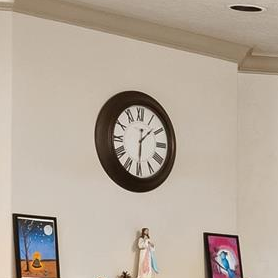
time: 1:30
